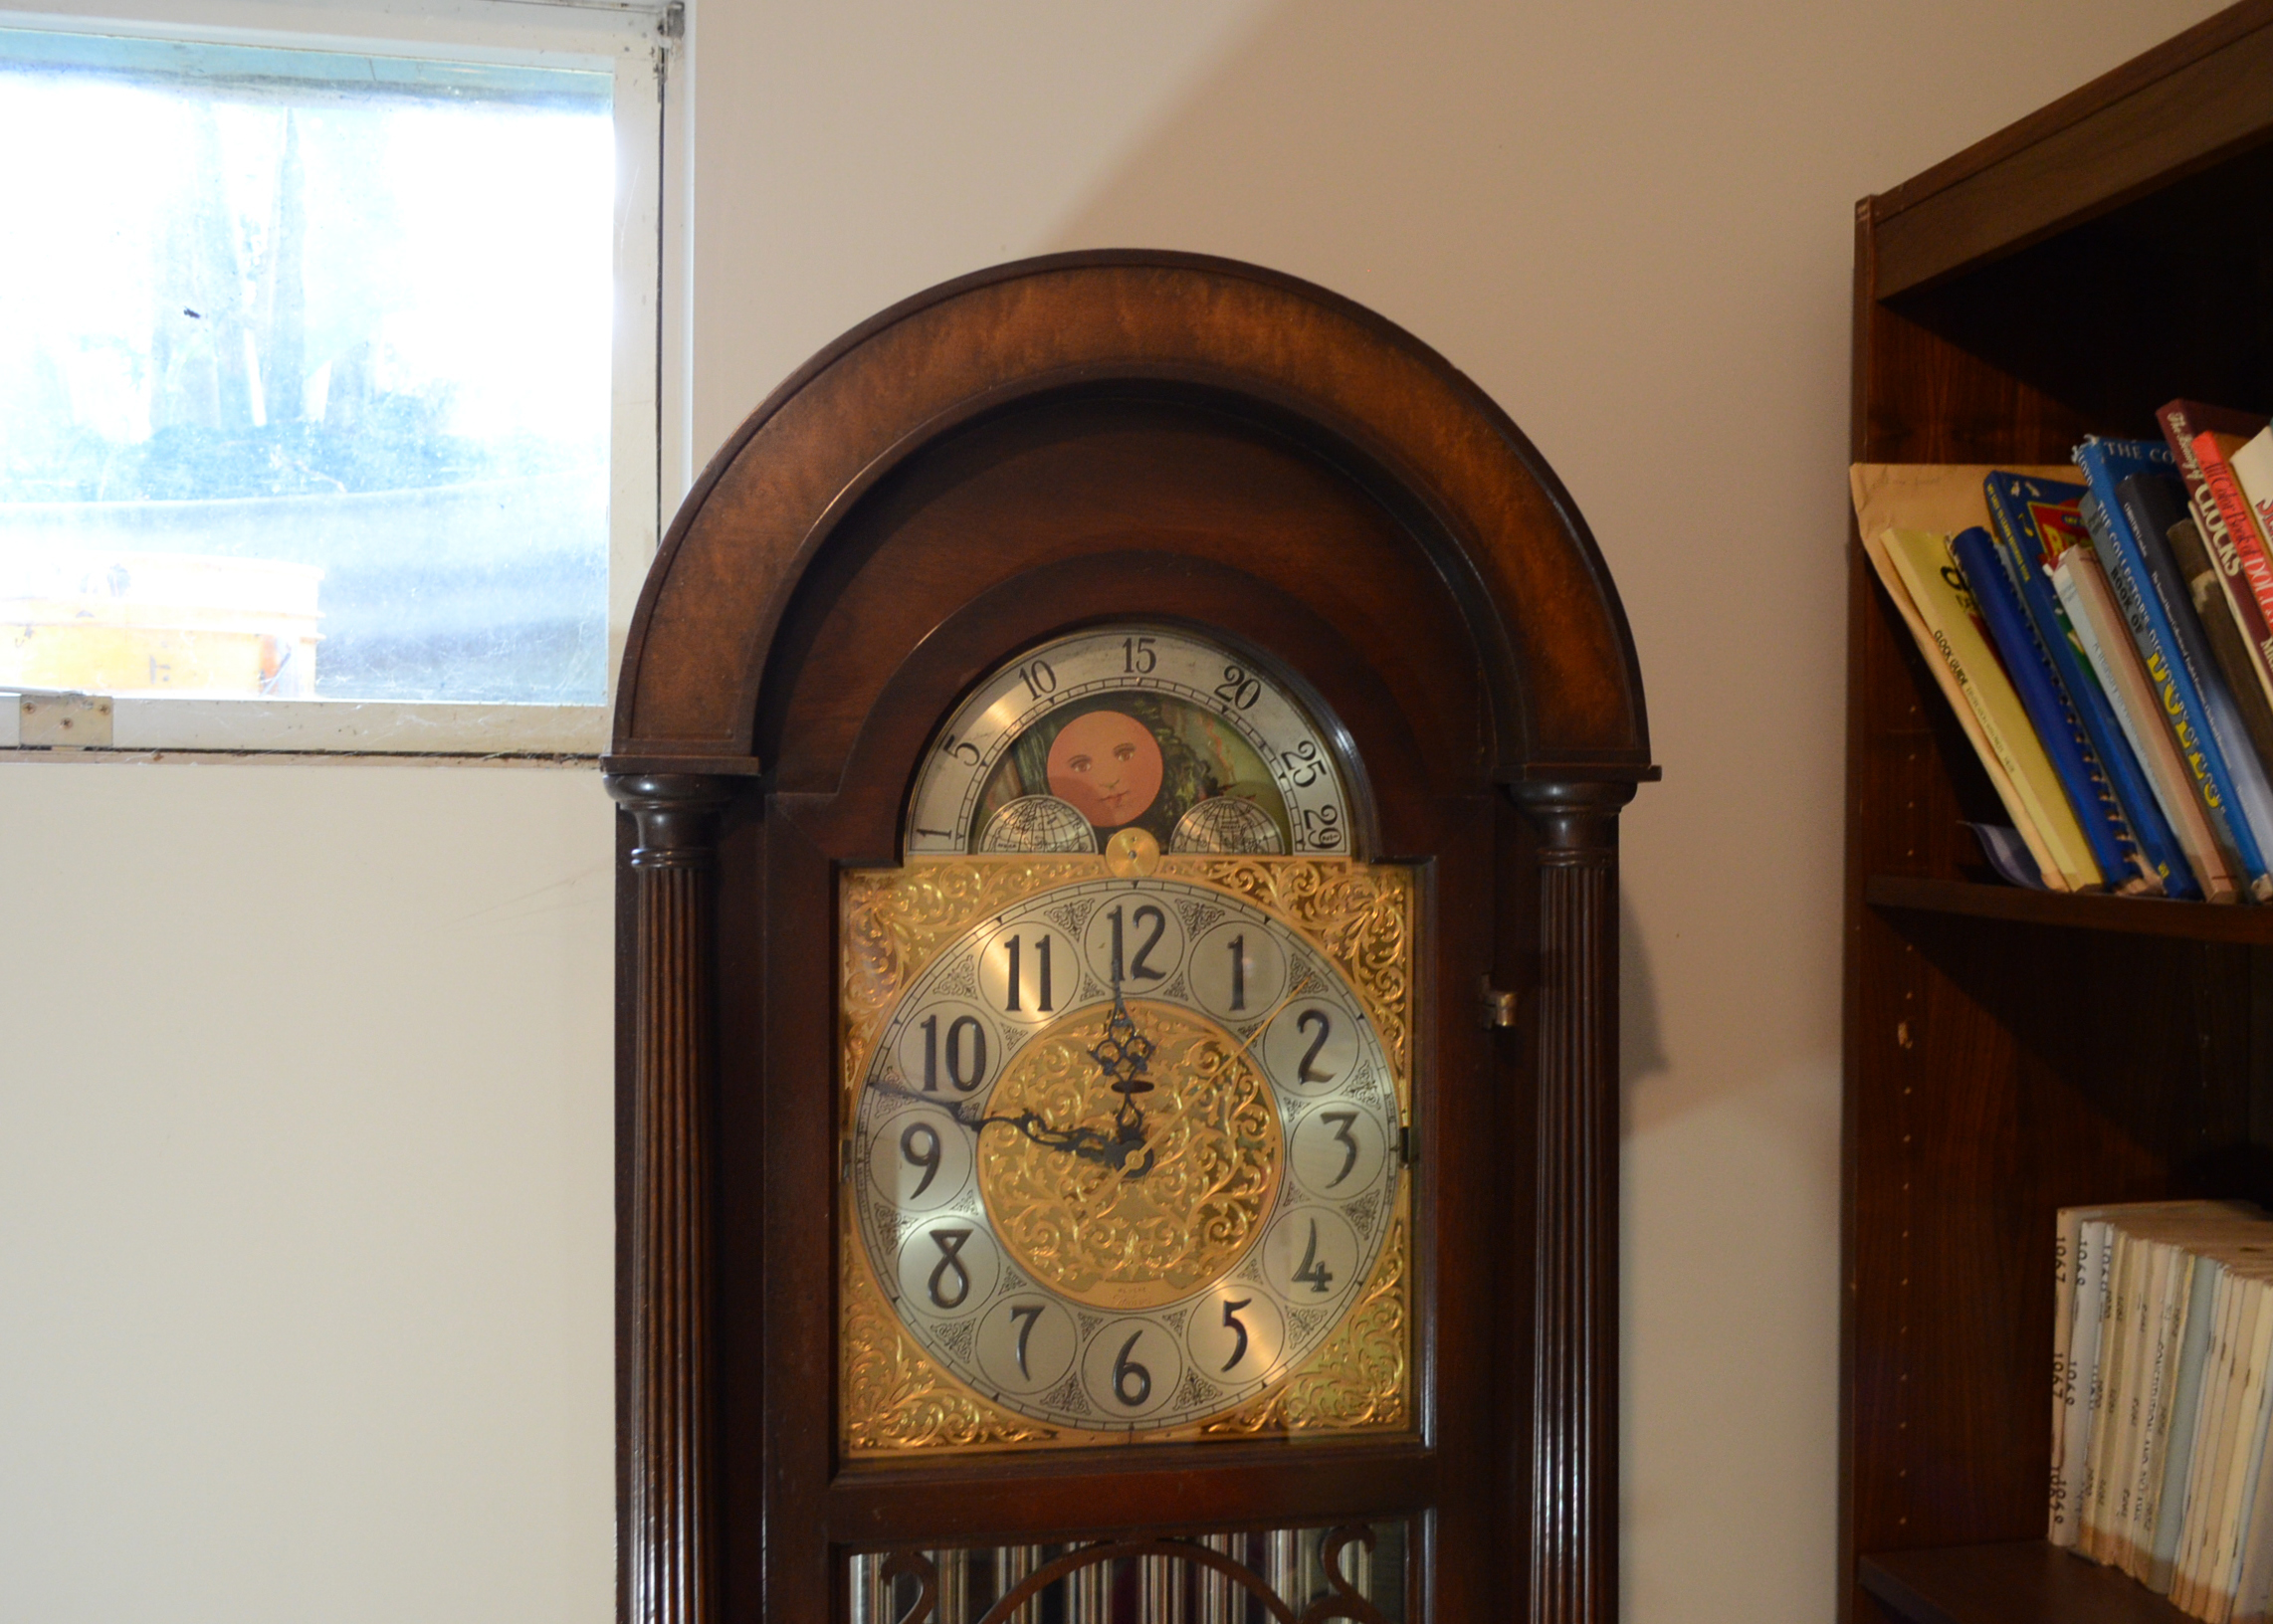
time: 11:46
